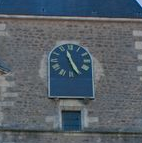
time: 11:25
